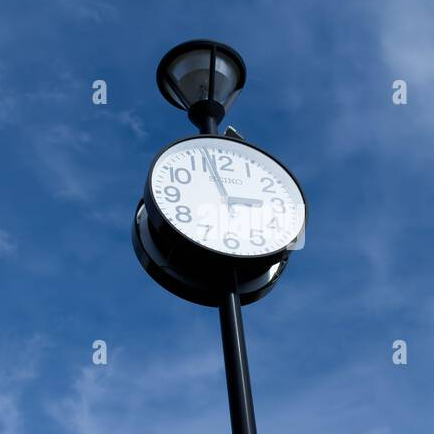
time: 2:57
